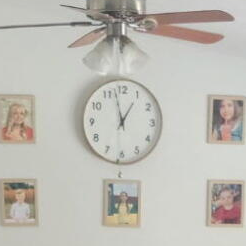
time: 12:57
